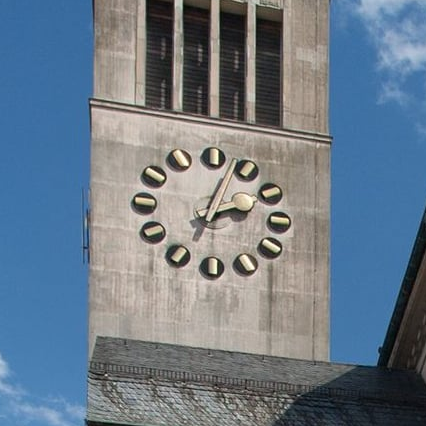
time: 2:03
